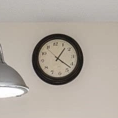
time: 1:22
